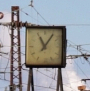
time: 11:05
